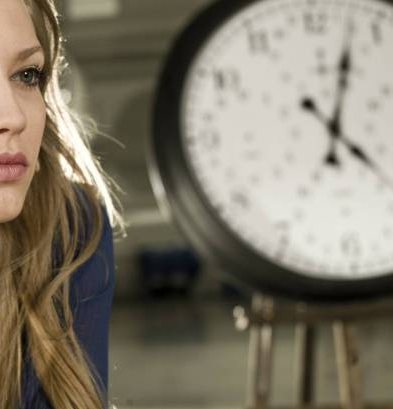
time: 4:03
